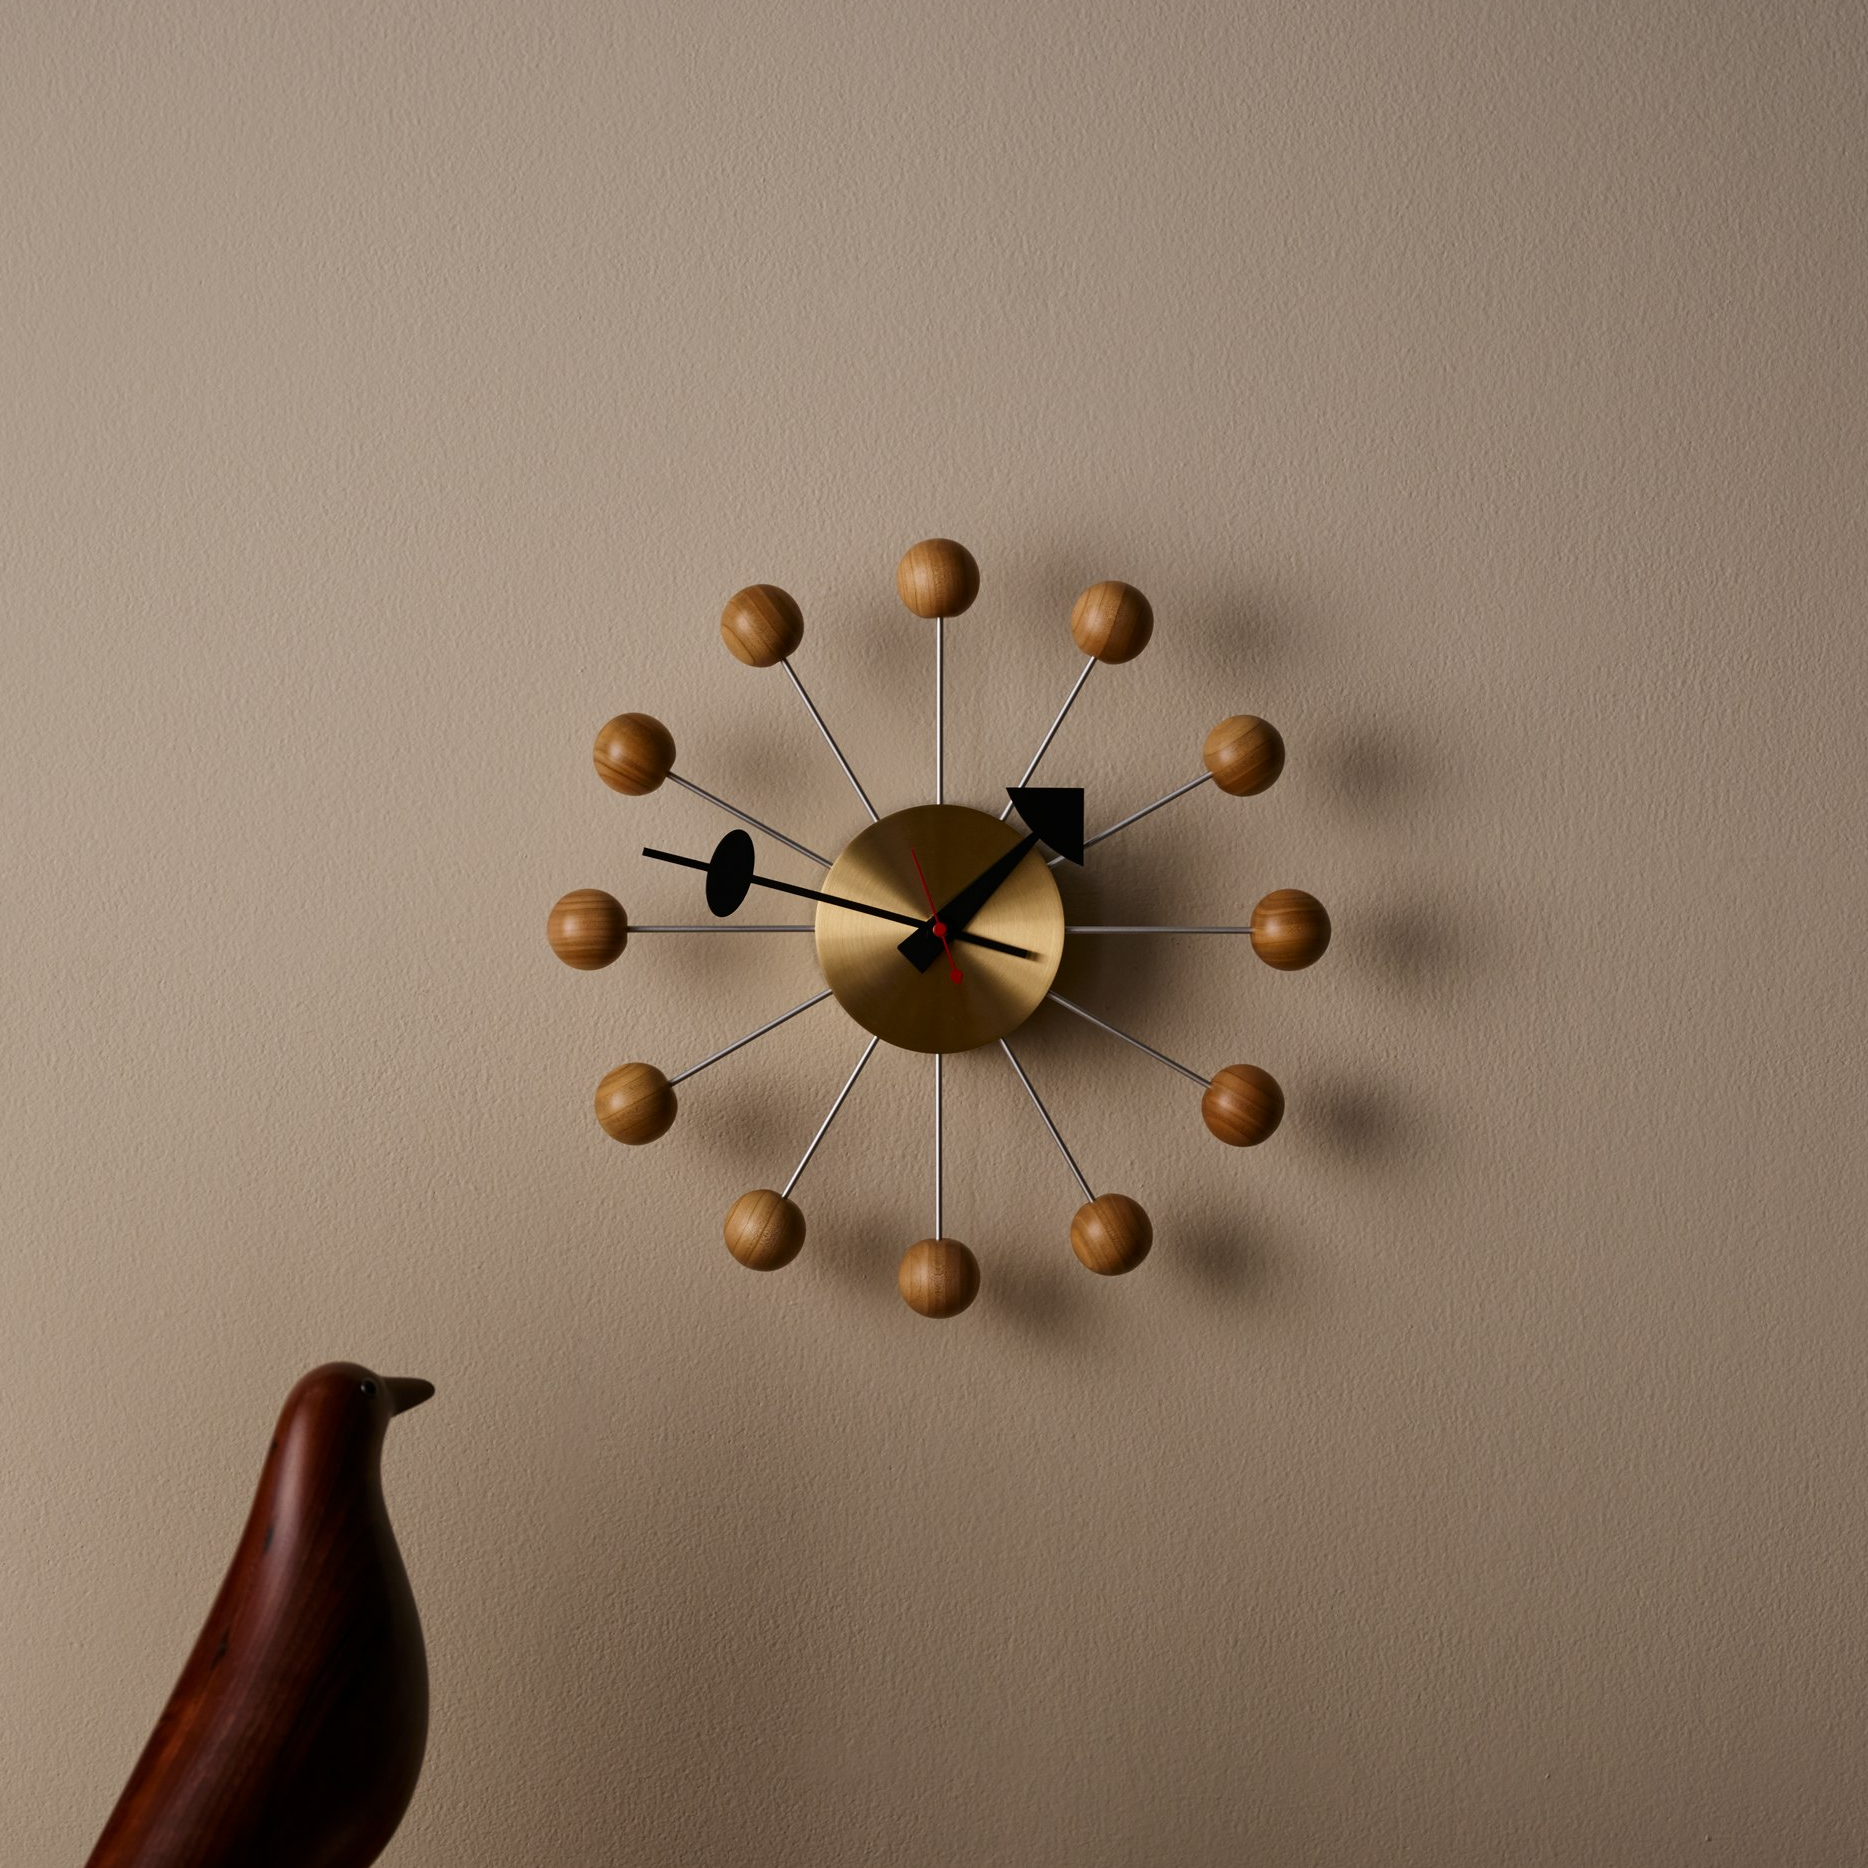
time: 1:47
